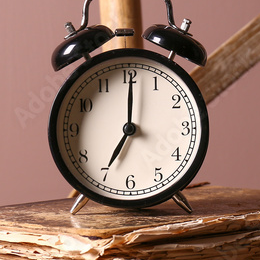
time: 7:00
